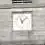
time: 11:07
